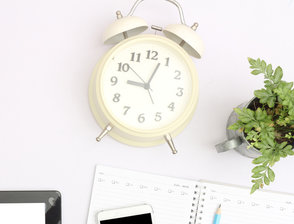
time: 9:03
